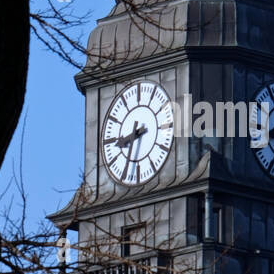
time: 8:34
